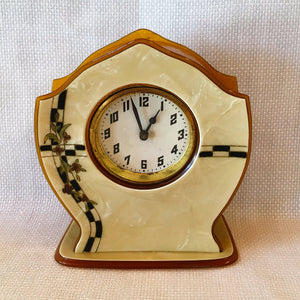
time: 12:57
